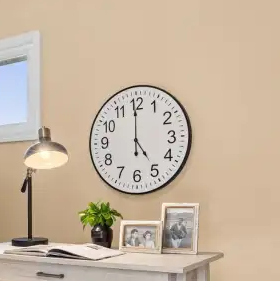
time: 4:59
